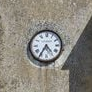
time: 4:35
